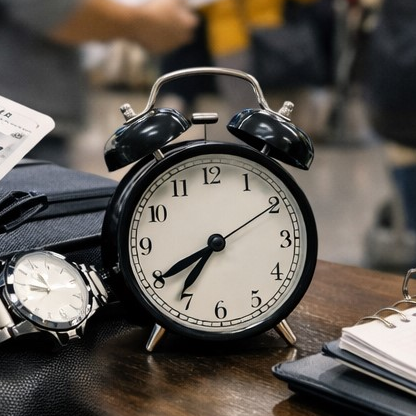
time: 7:40
